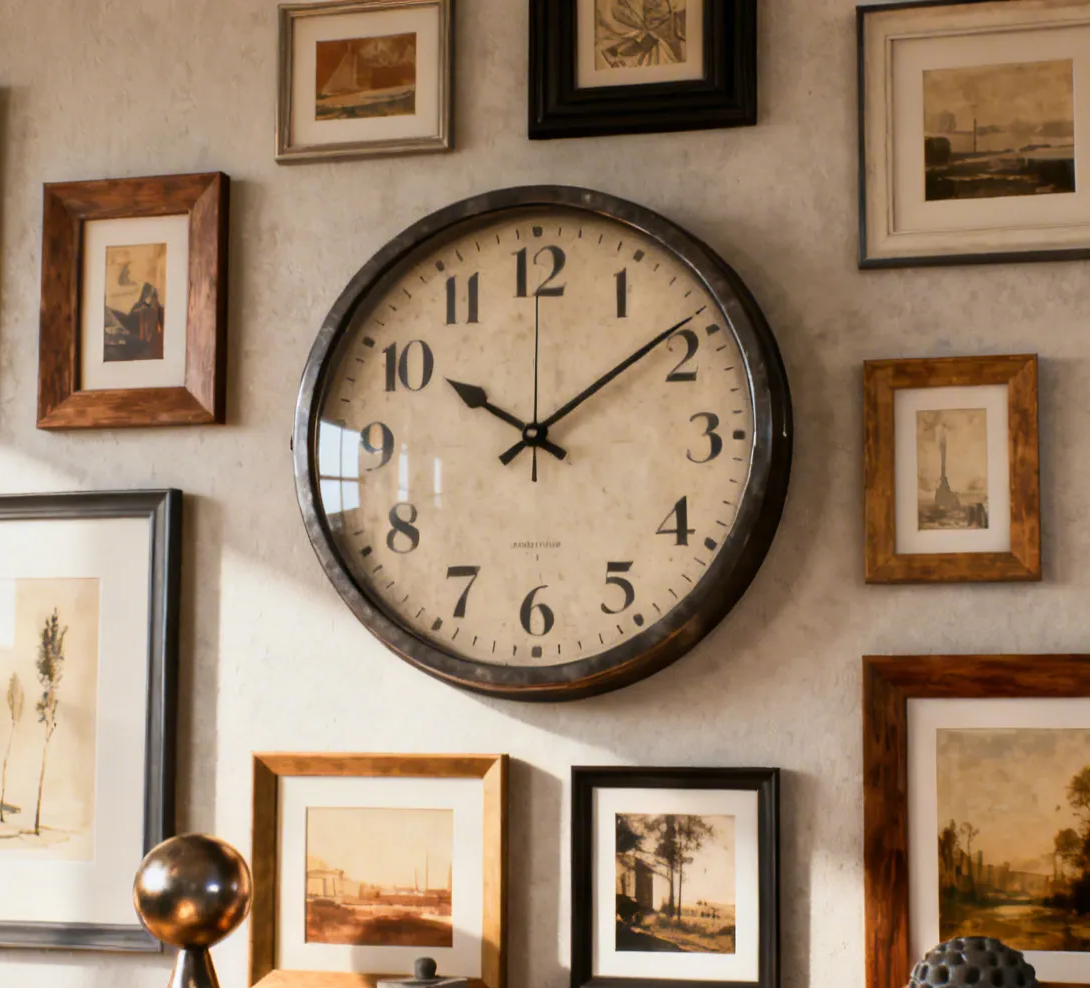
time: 10:08
